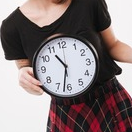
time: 10:32
